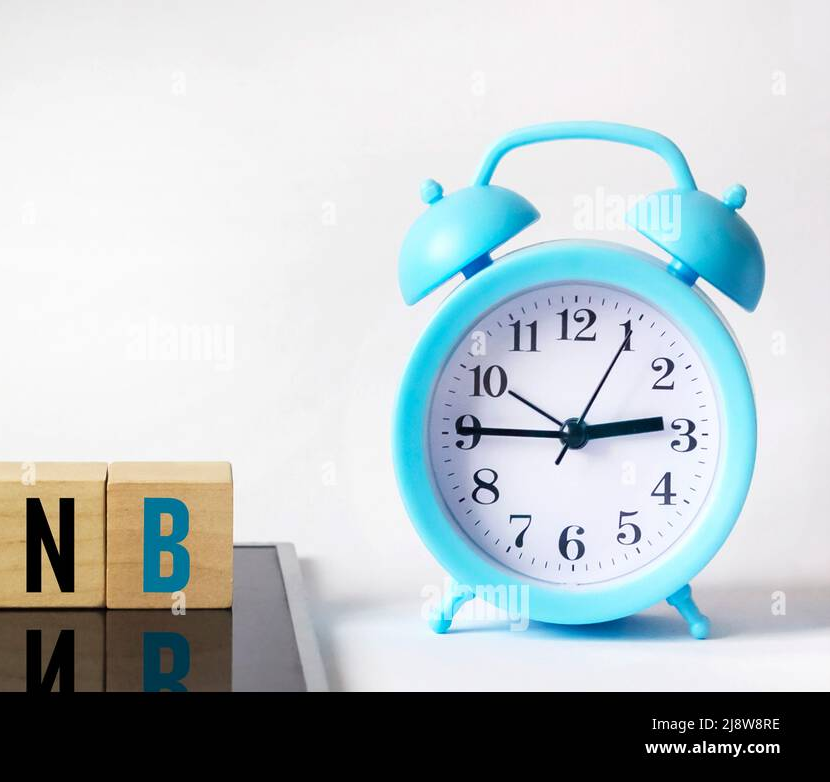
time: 2:45
